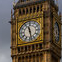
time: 11:28
